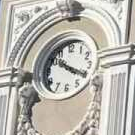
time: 10:19
